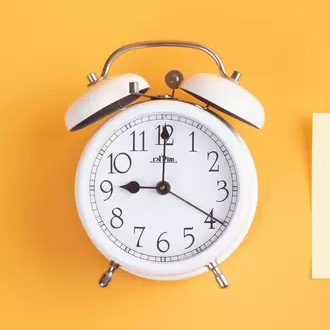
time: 9:00
